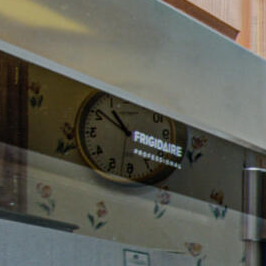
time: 10:51
